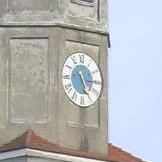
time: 5:15
